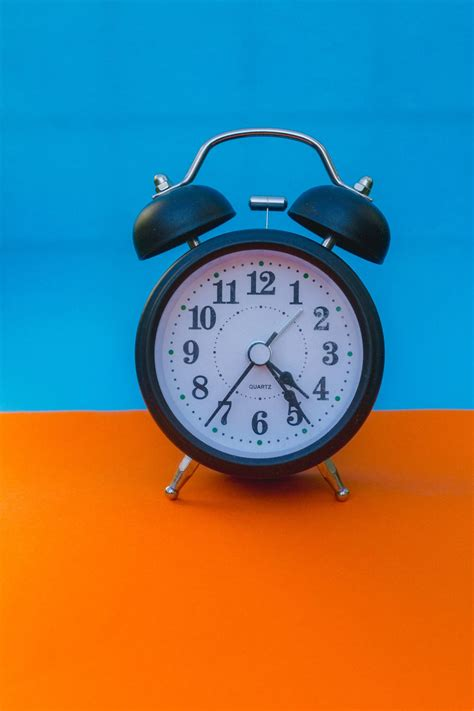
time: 4:36
